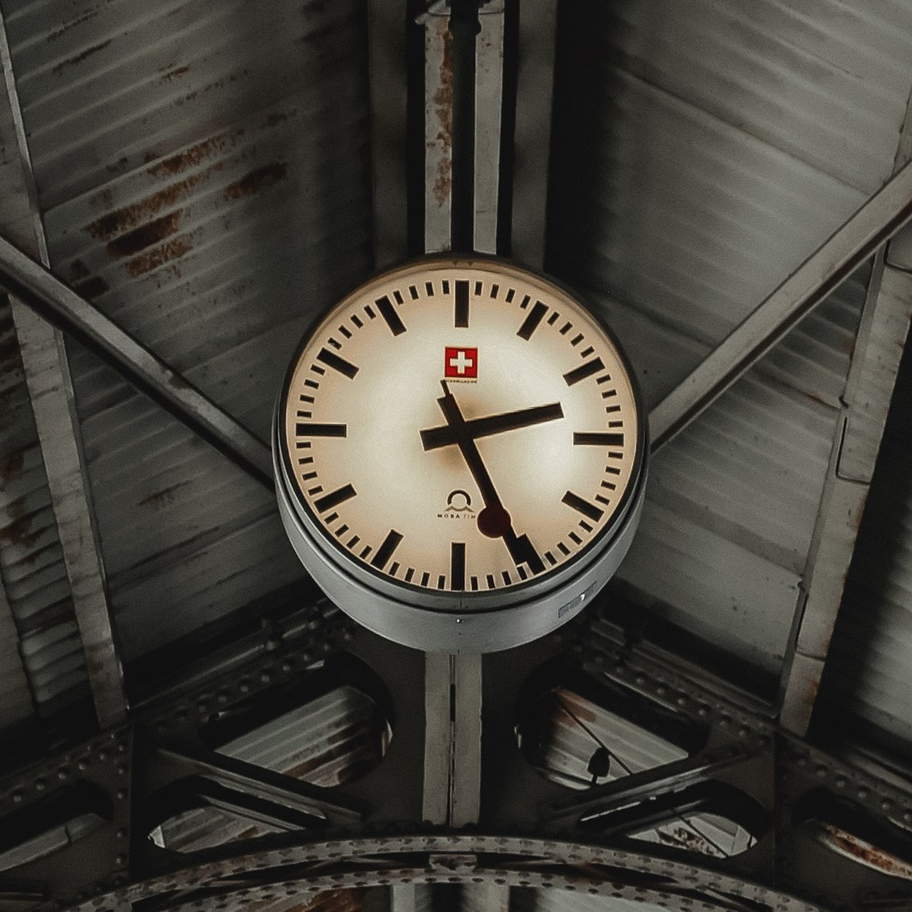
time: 2:25
